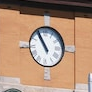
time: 10:55
